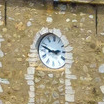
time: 2:48
